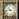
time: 10:43
